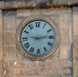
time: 9:13
